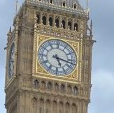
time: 5:17
